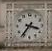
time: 3:36
